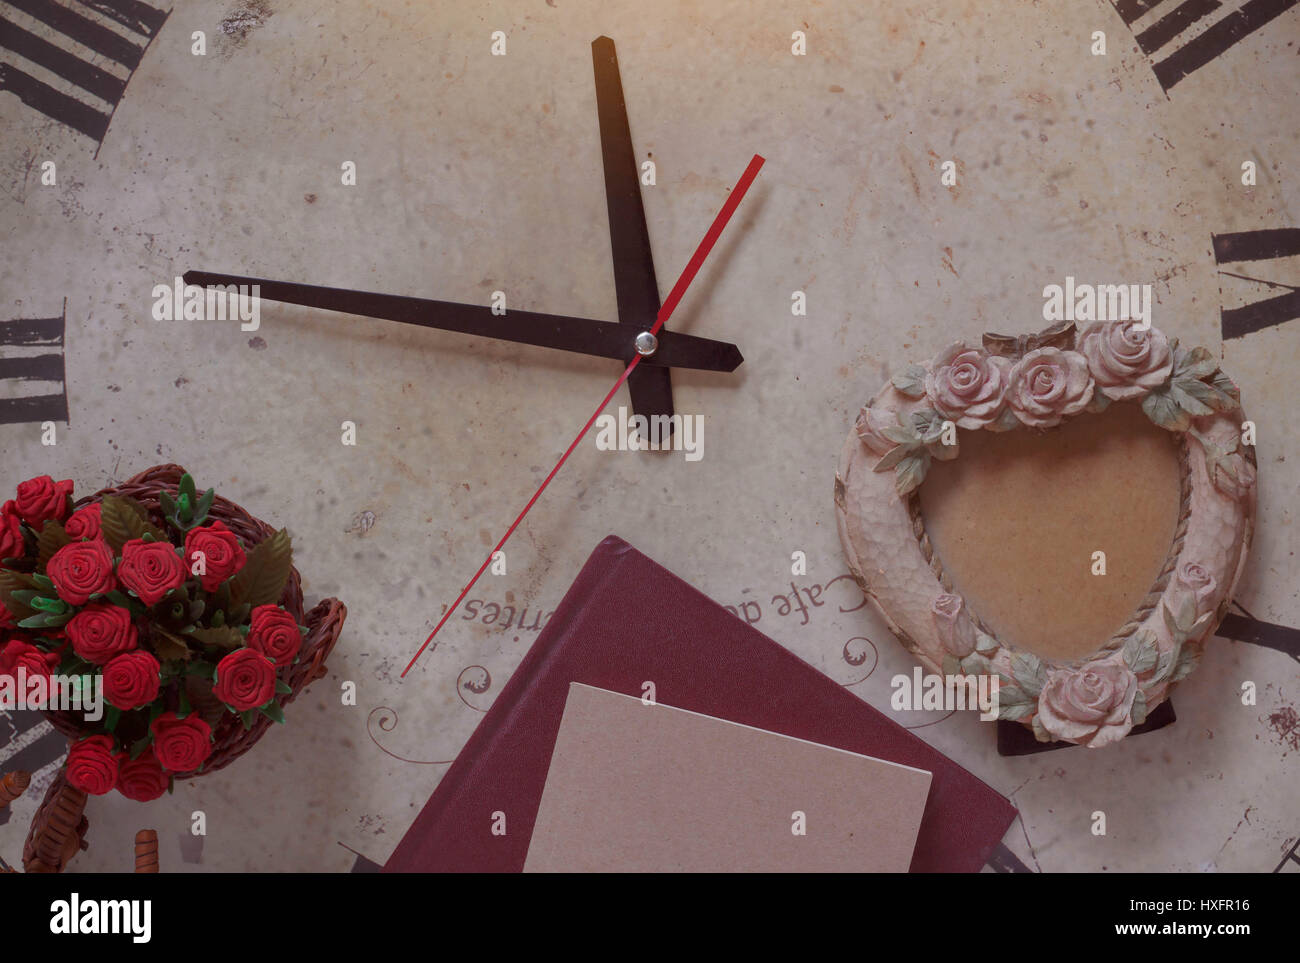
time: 11:46
